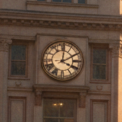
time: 4:10
